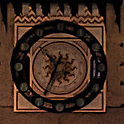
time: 10:34
